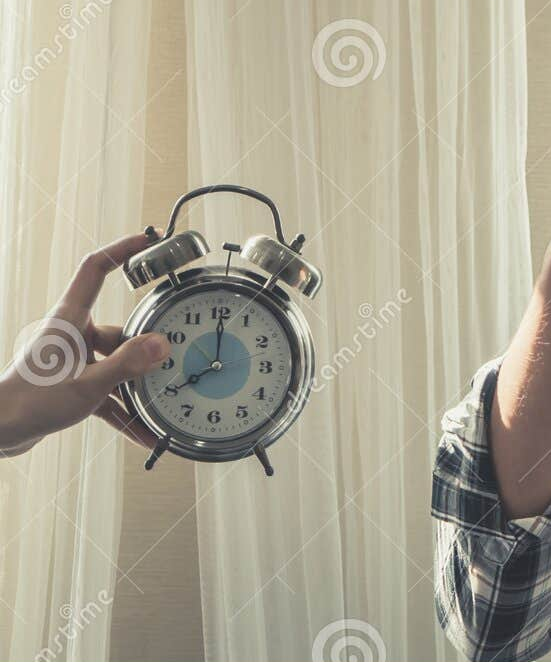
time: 8:00
